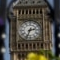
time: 2:33
